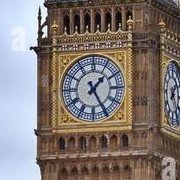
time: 1:24
